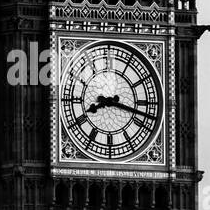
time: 8:17
